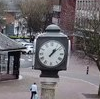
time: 1:08
